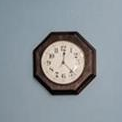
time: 12:22
